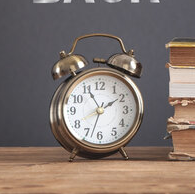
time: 1:55
